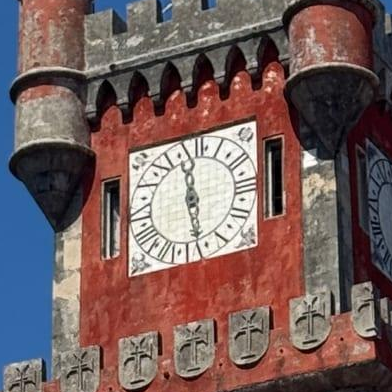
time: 11:28
